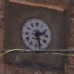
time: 2:27
